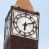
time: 6:11
